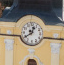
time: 12:39
